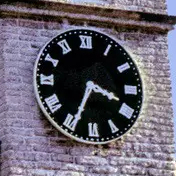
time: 3:34
